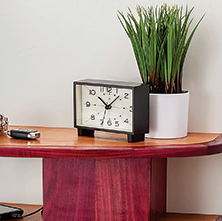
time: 10:07
